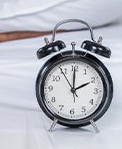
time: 2:00
